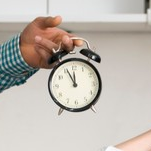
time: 11:55
